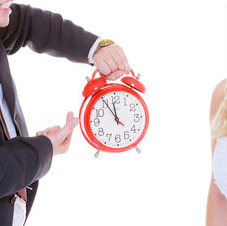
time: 11:54
